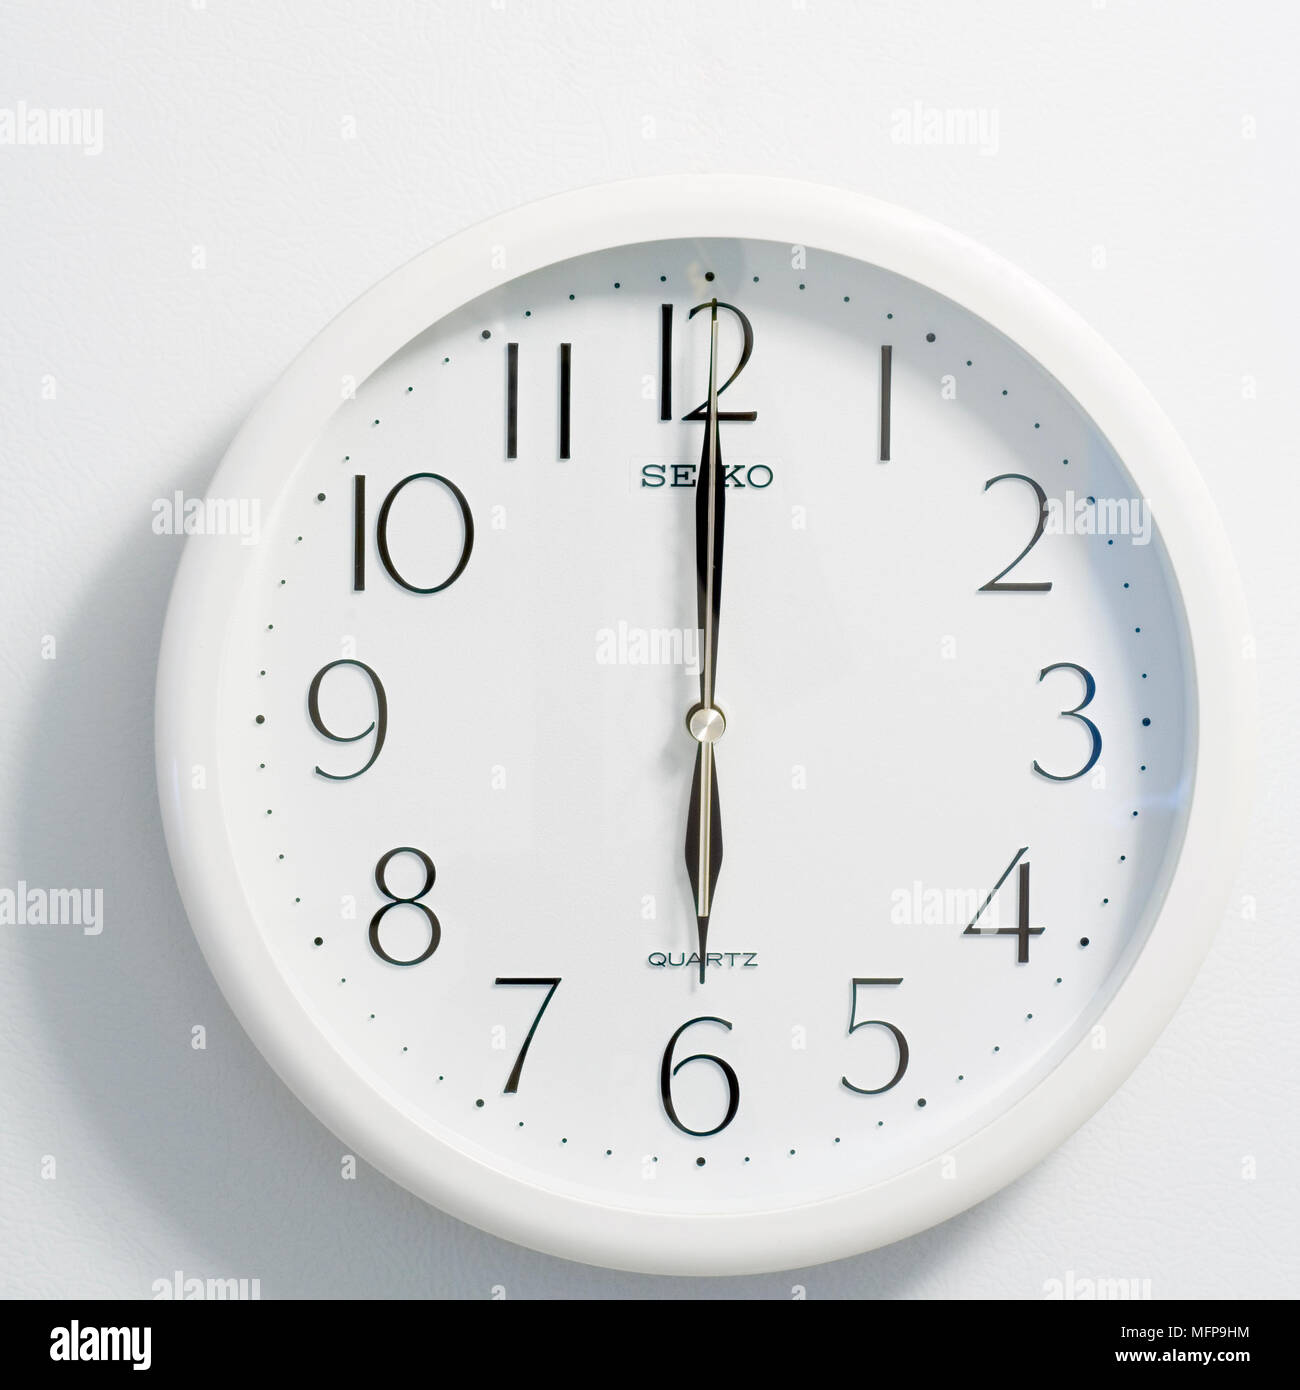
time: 6:00
